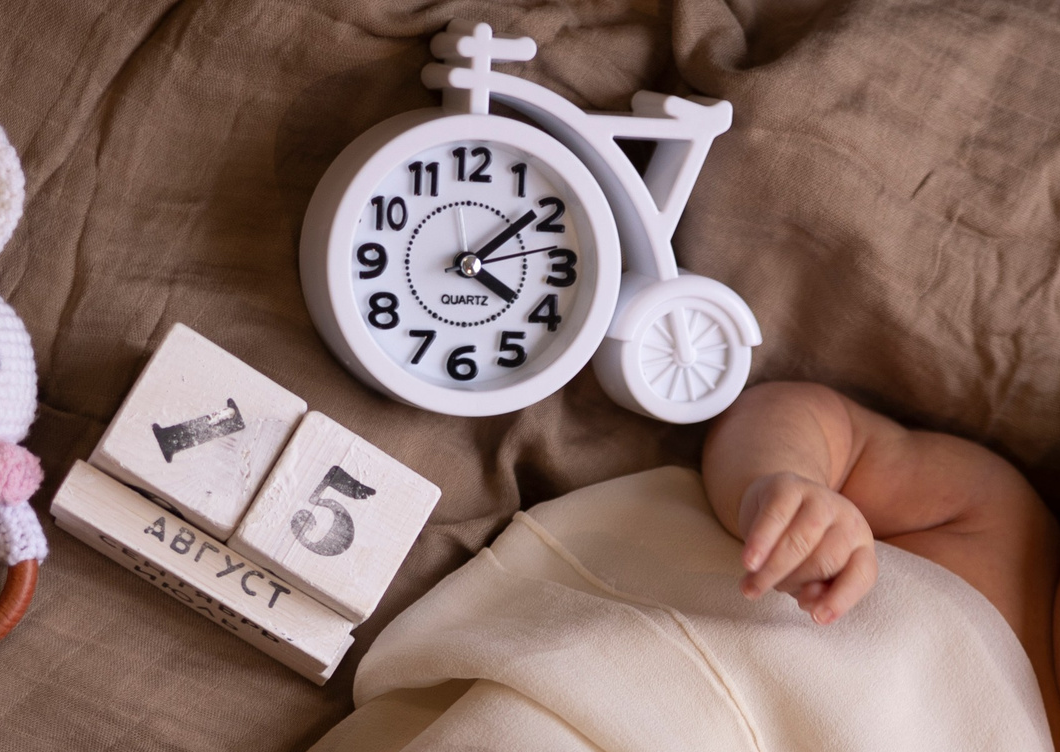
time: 4:08
